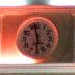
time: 5:57
